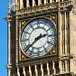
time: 2:38
